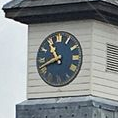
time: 10:41
